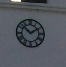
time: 1:52
